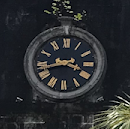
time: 3:42
